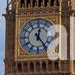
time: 12:23
